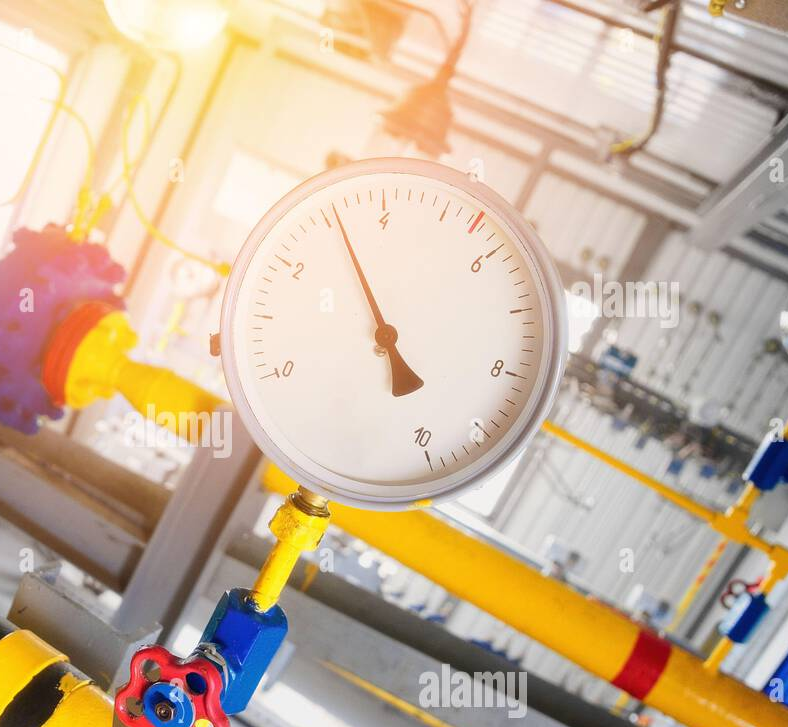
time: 4:56
